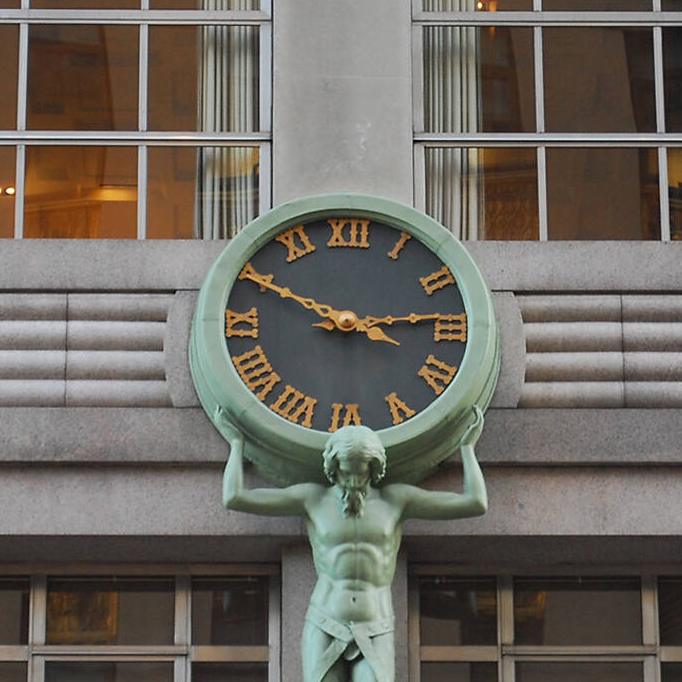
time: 2:49
